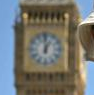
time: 12:59
